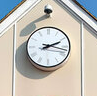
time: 2:17
